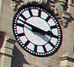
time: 2:47
